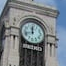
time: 11:42
